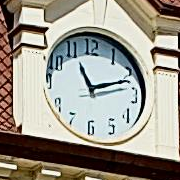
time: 11:11
